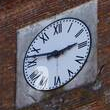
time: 2:47
